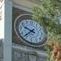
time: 9:38
